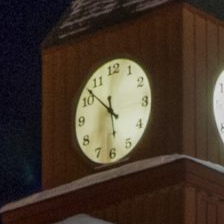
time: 5:52
